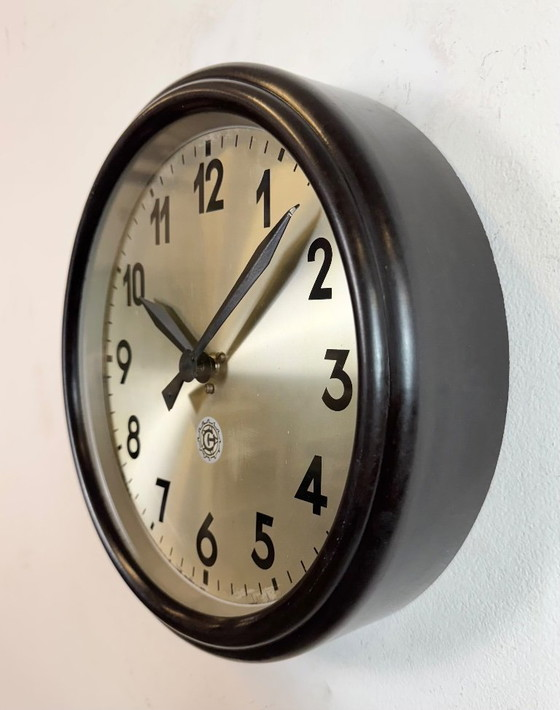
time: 10:07
